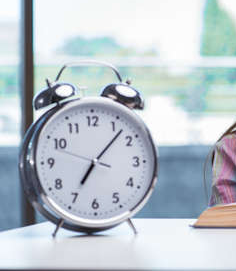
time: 7:07
